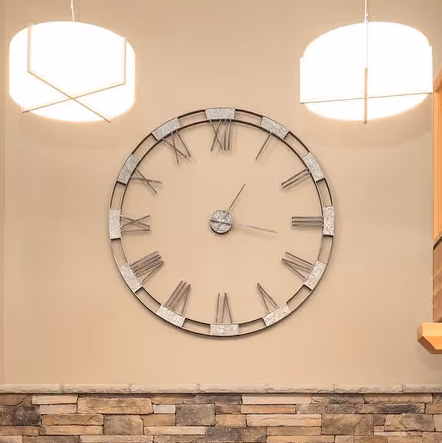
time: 1:16
